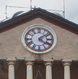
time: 4:08
